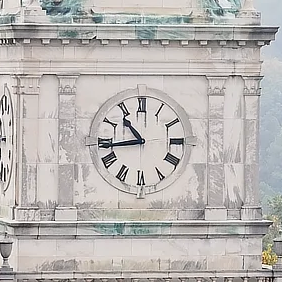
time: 10:43
